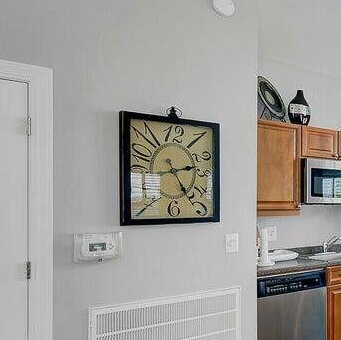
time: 2:24
